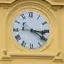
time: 3:20
